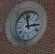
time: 2:58
